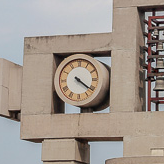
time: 4:21
